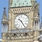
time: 10:24
